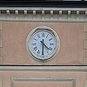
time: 4:30
